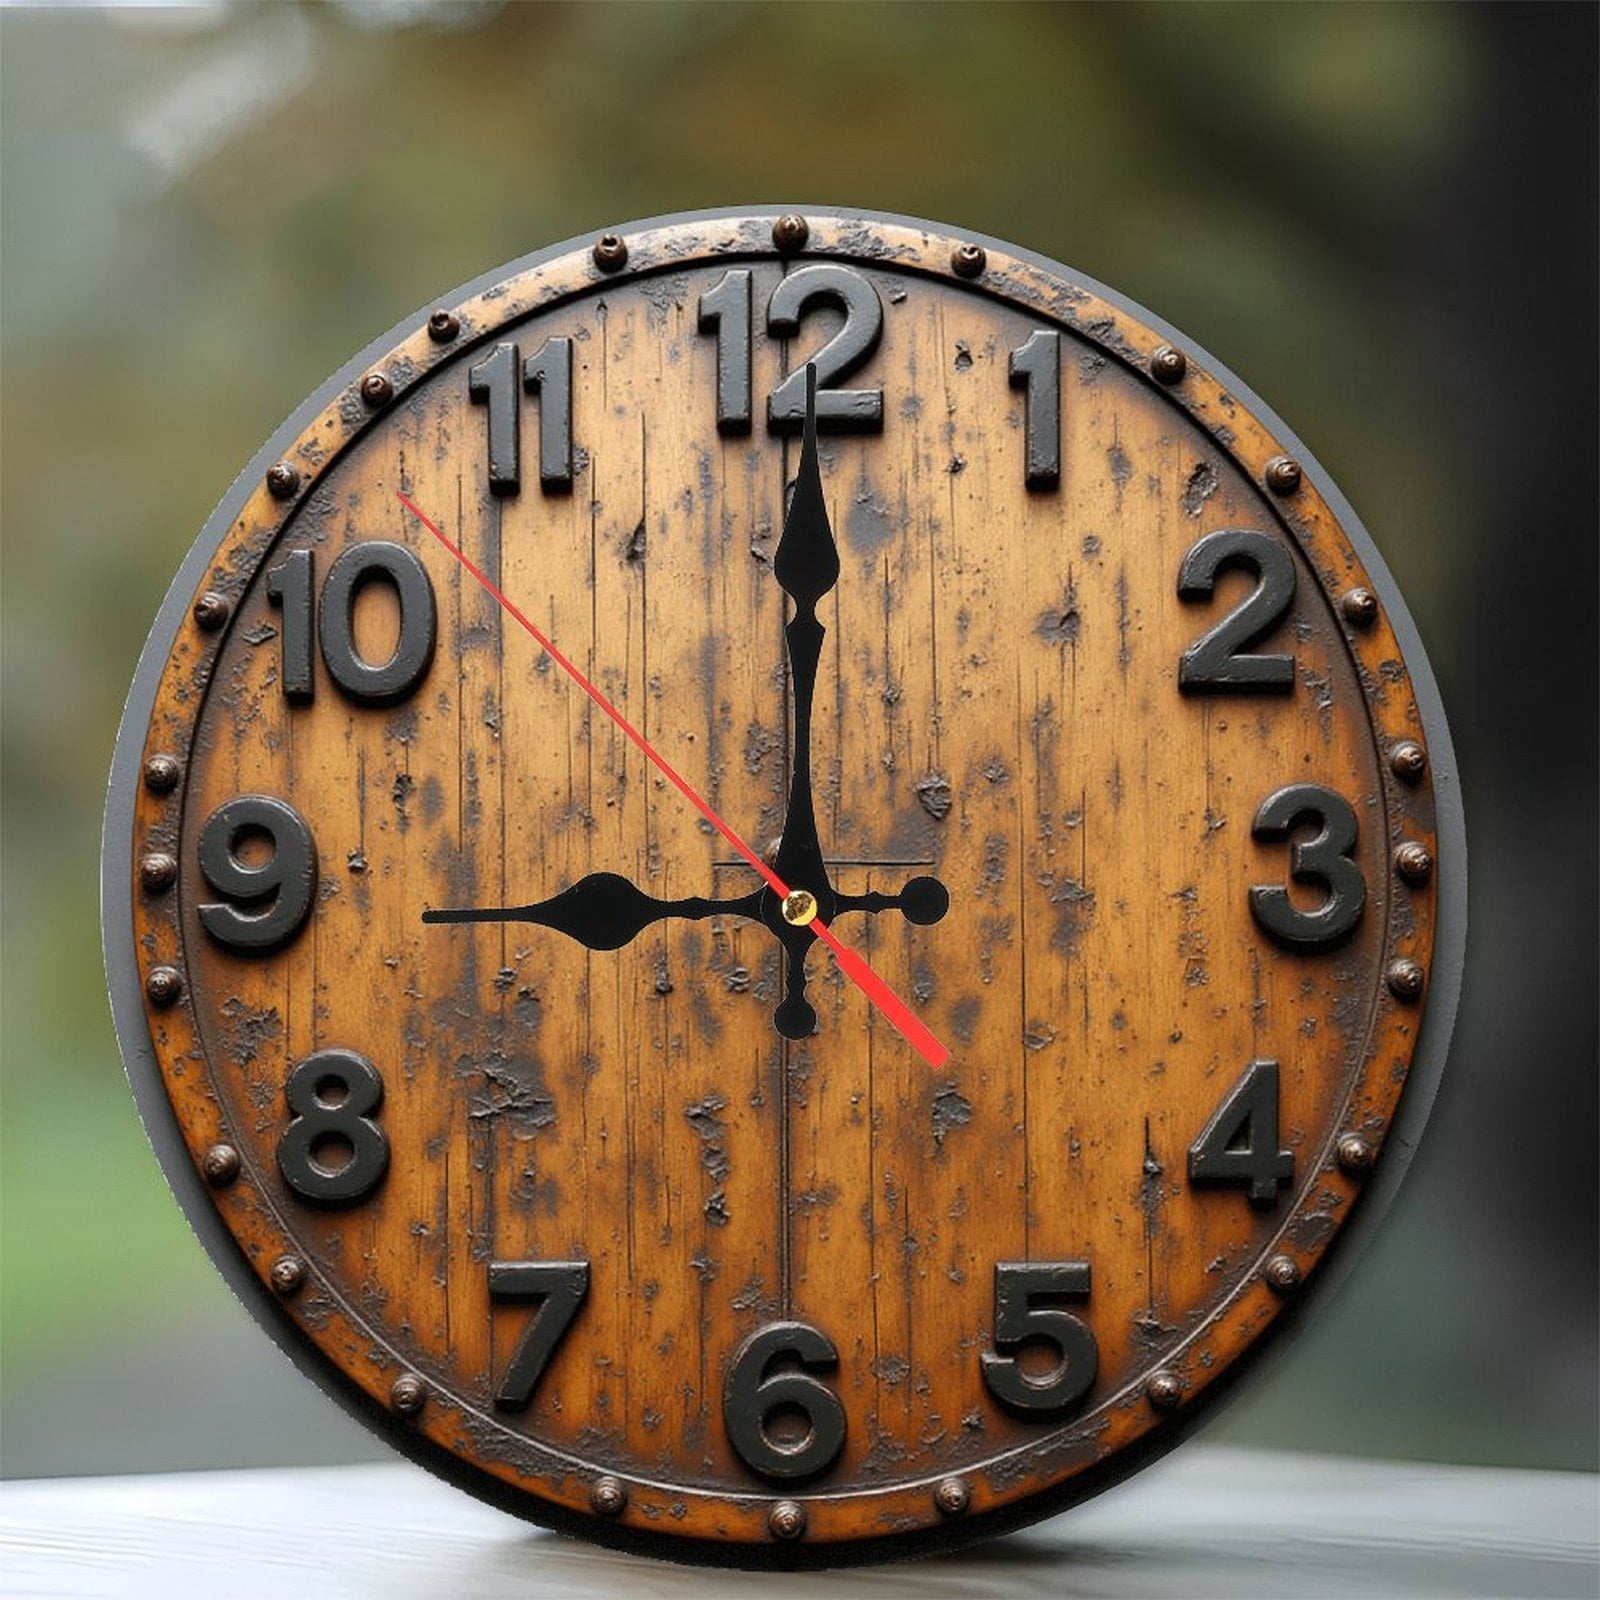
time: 9:00
